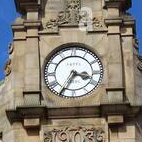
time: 3:34
